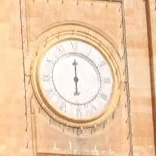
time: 6:00
